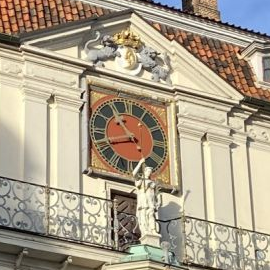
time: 10:41
